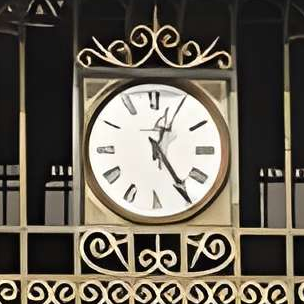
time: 5:03
